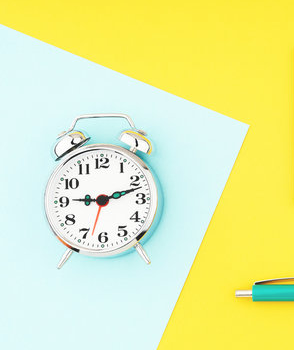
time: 9:12
